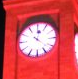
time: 12:22
